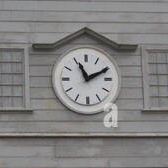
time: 11:10
